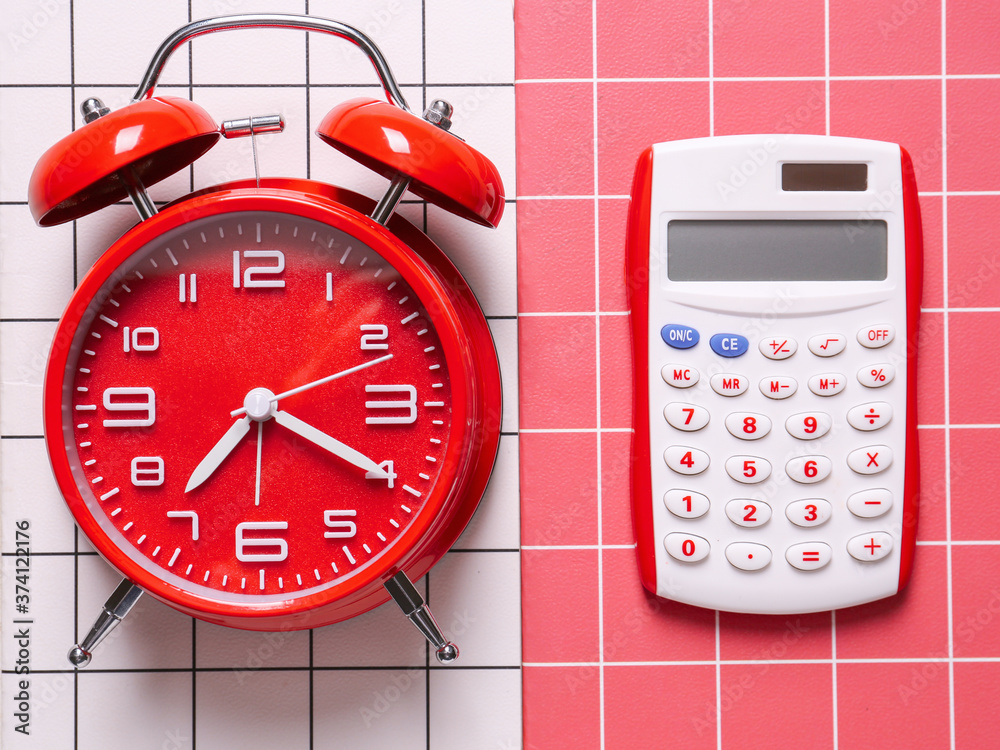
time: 7:20
